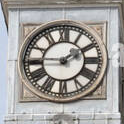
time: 1:45
